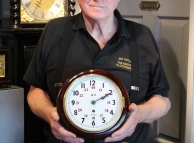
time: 2:10
